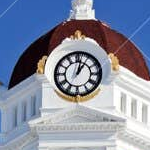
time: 1:01
